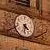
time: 4:31
